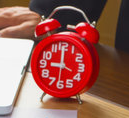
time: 9:00
